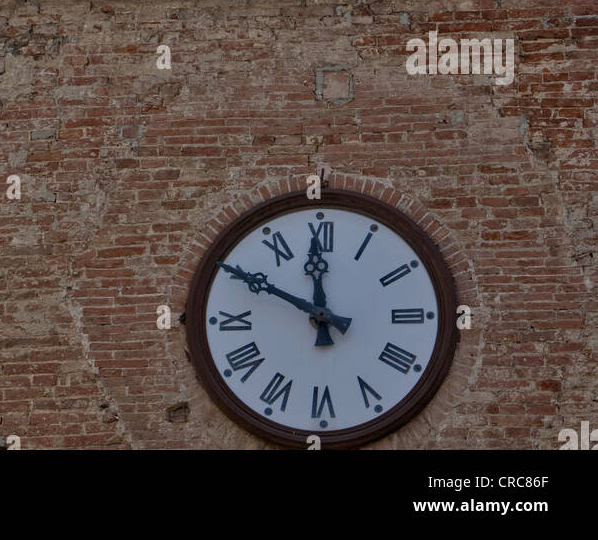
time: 11:49
